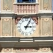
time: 3:04
